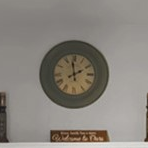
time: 1:59
